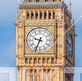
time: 9:34
